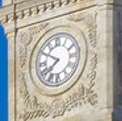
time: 7:50
